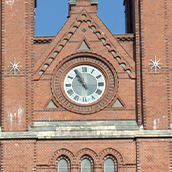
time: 10:55
